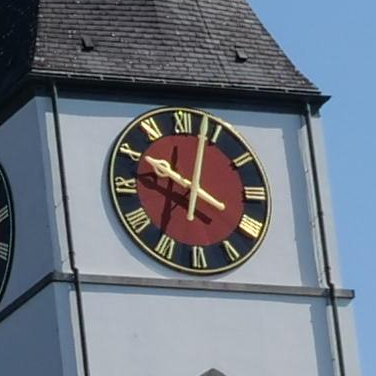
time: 10:03
